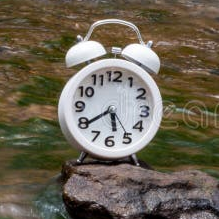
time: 5:39
